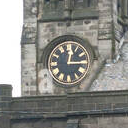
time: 12:14
